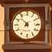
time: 7:52
